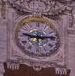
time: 9:13
